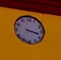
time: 3:17
